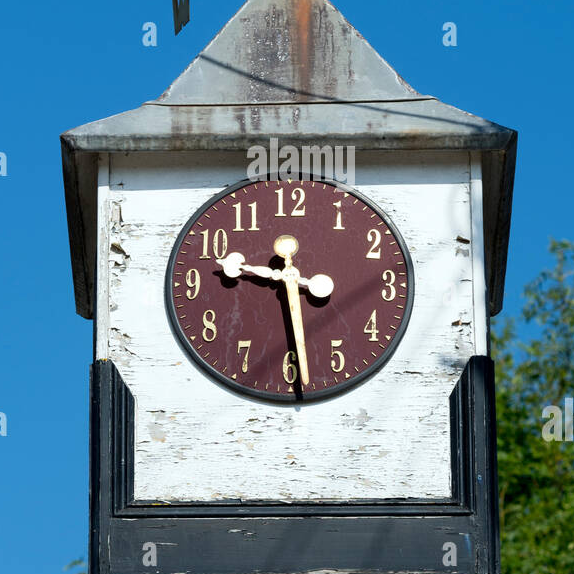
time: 9:29
